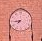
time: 7:44
